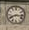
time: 8:16
